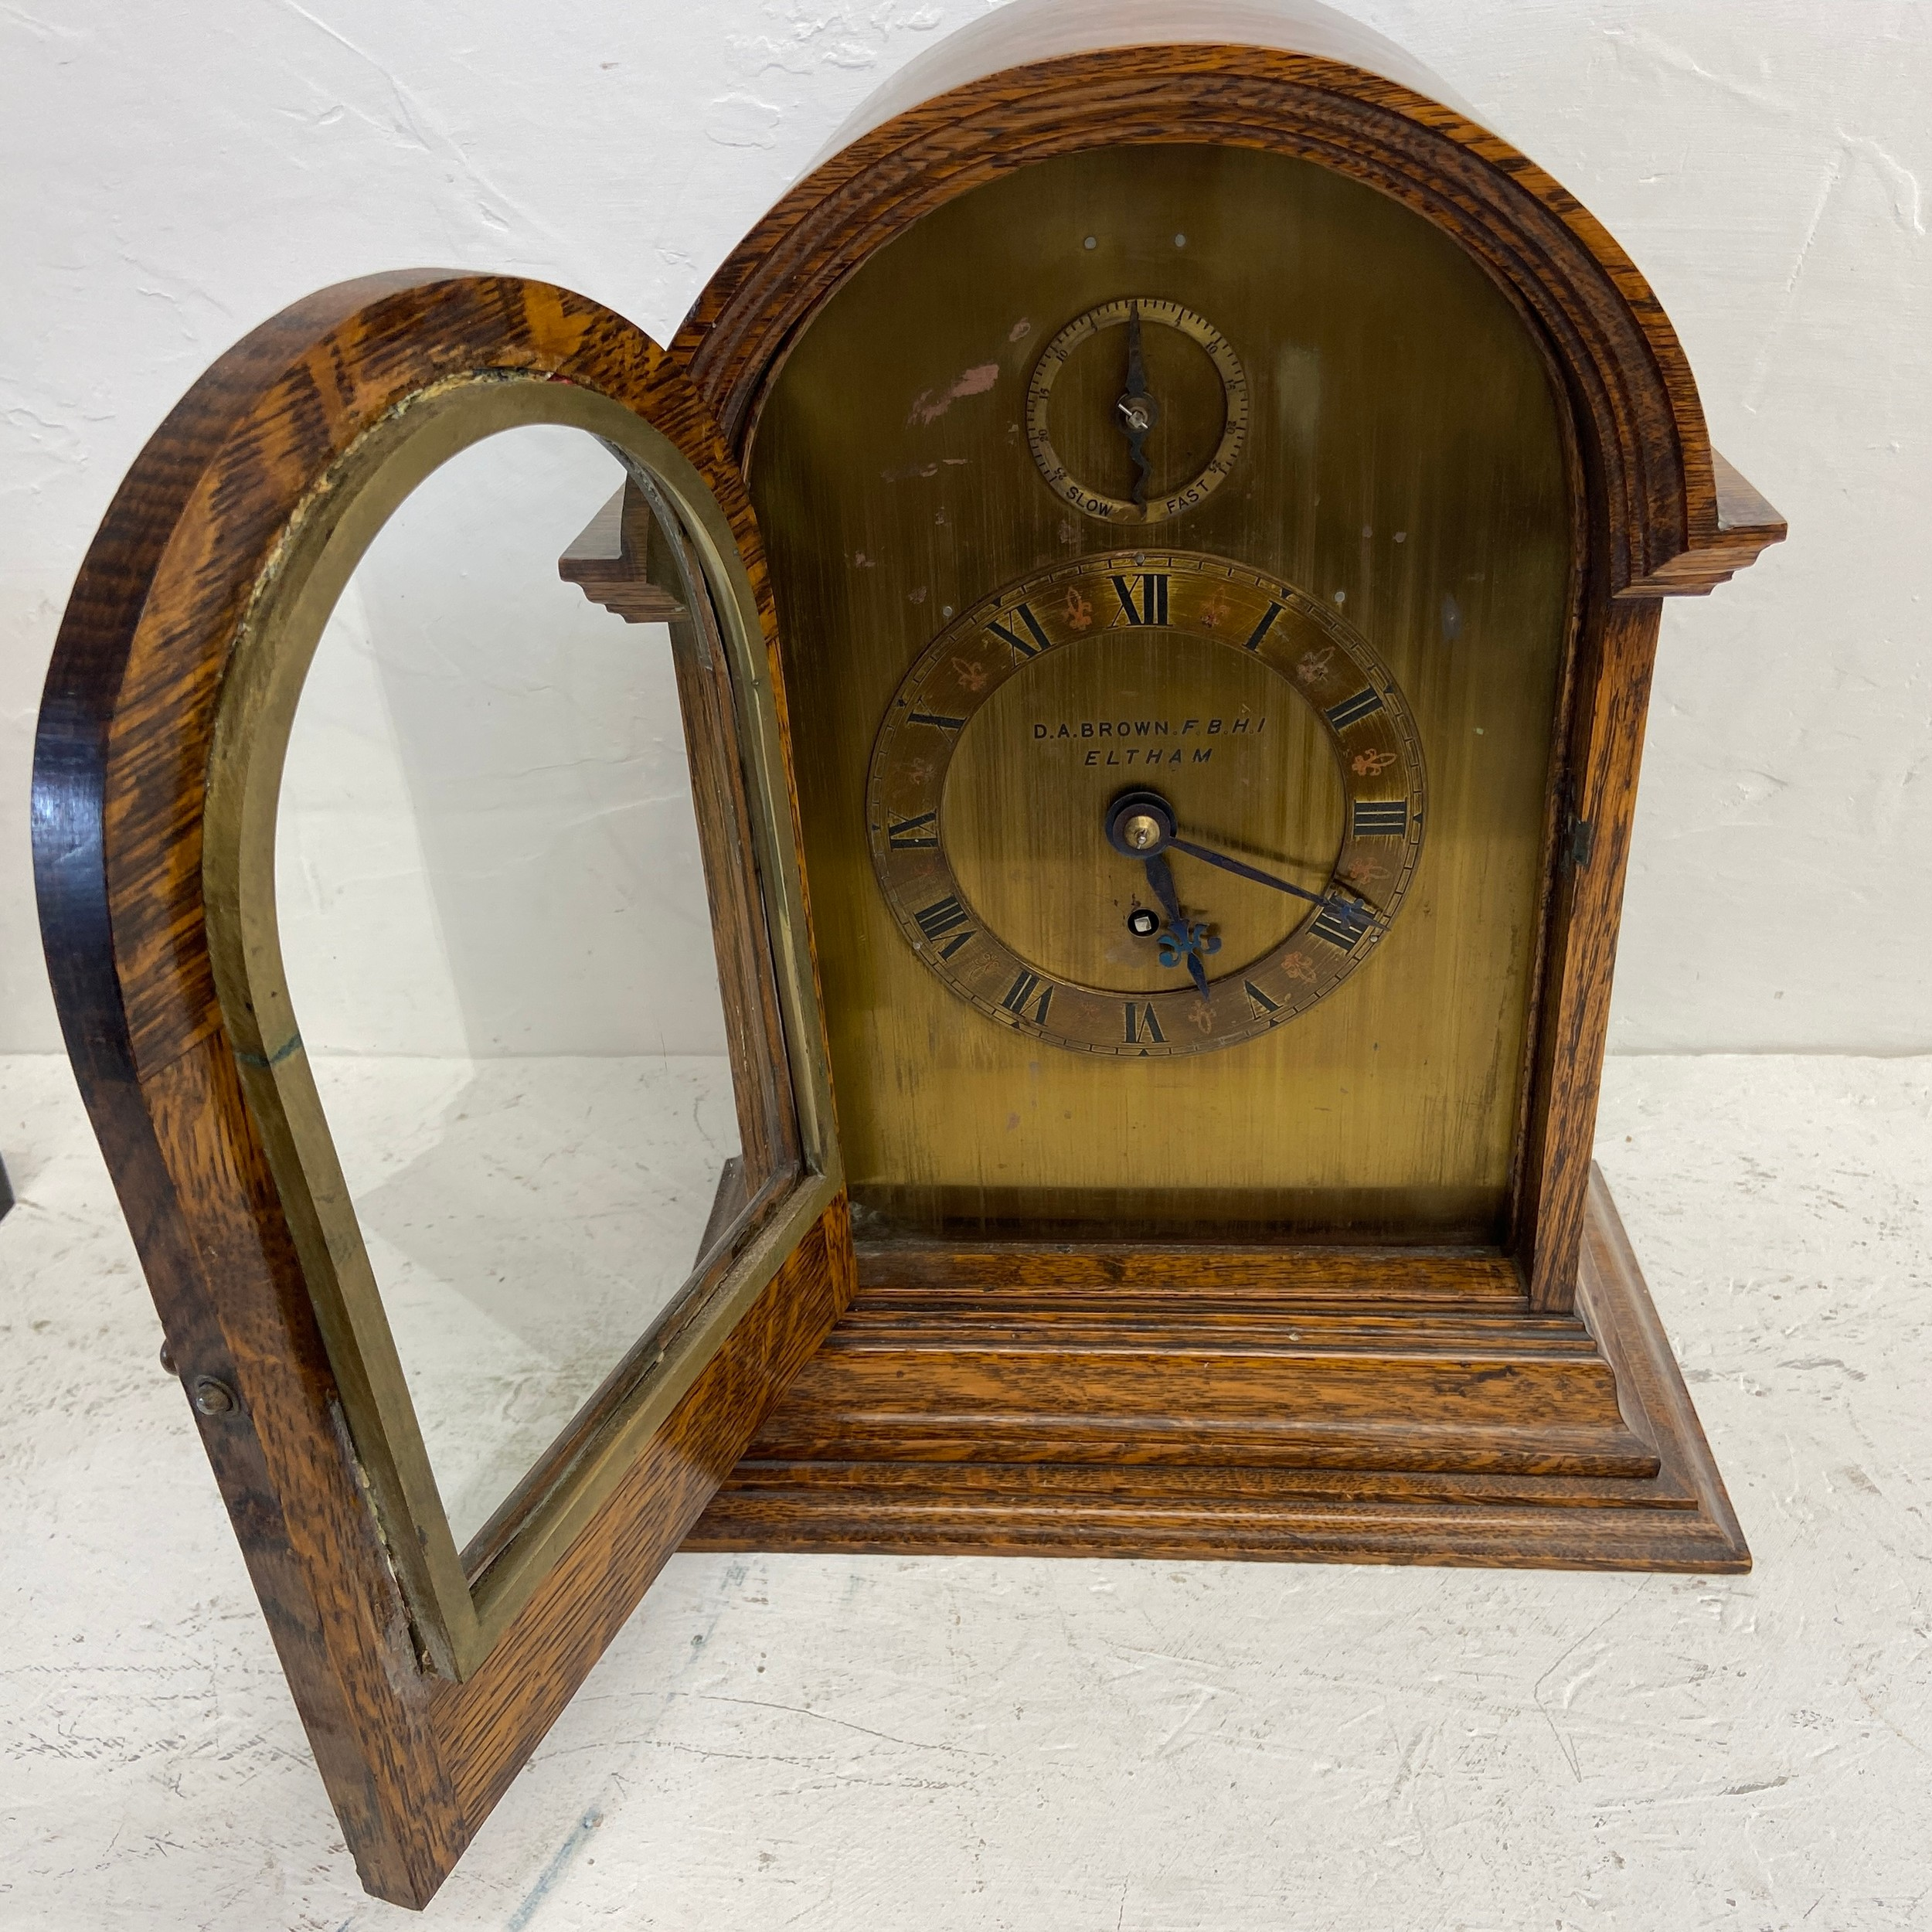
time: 5:18
